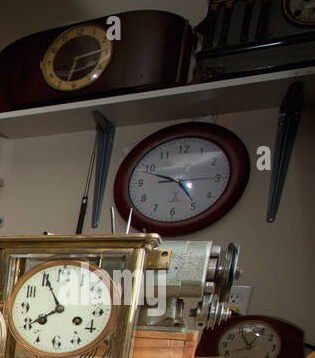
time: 4:48
